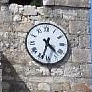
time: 4:33
